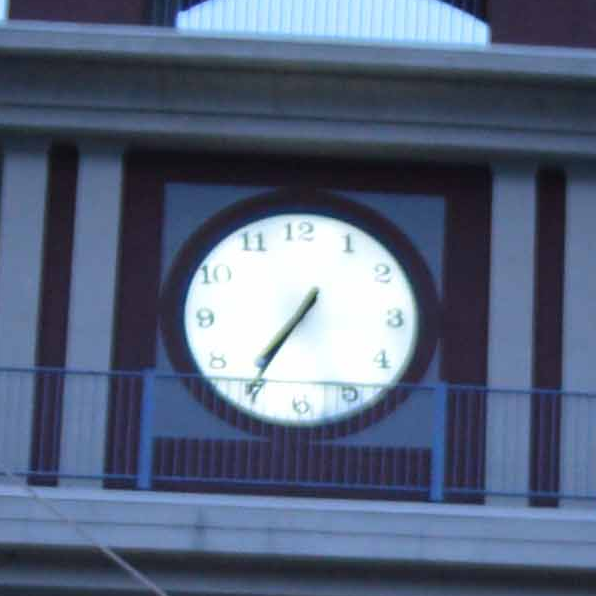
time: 7:36
